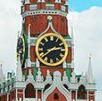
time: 2:38
